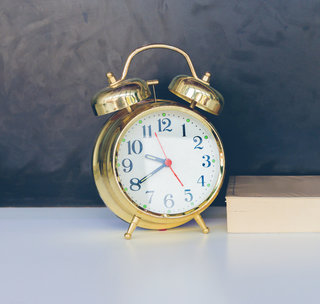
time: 9:40
